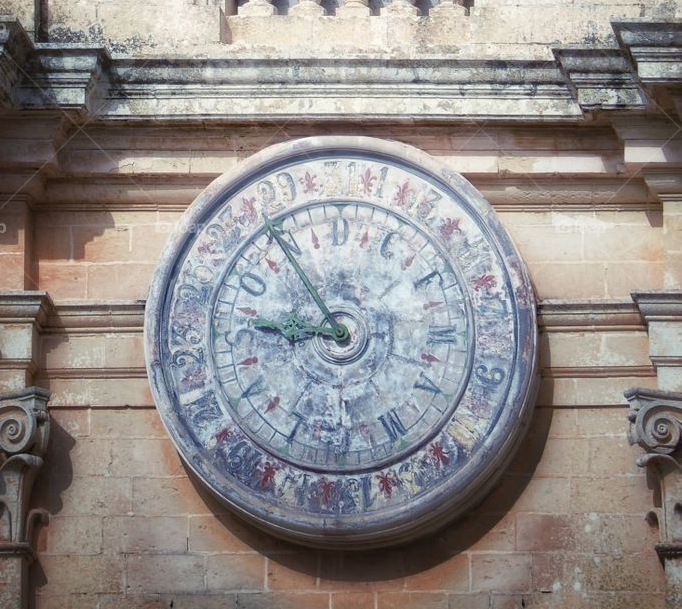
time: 8:54
